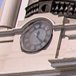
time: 12:22
